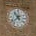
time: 10:37
